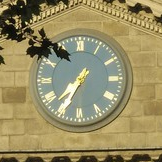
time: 7:34
